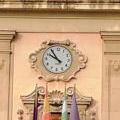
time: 9:54
